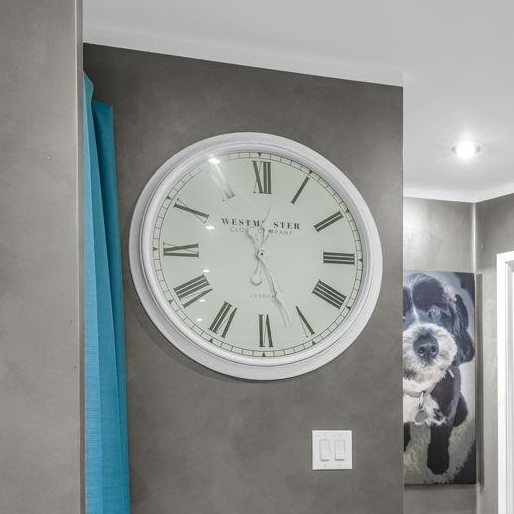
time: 12:26
